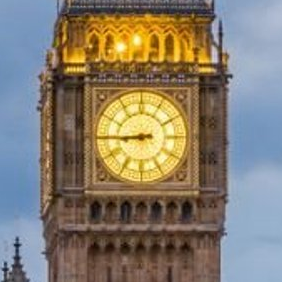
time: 8:44
